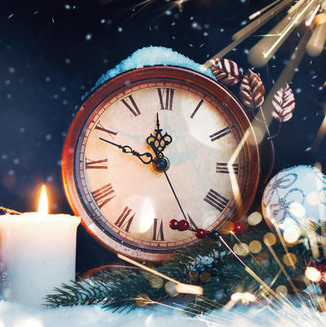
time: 11:48
